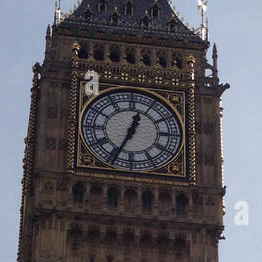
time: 12:34
